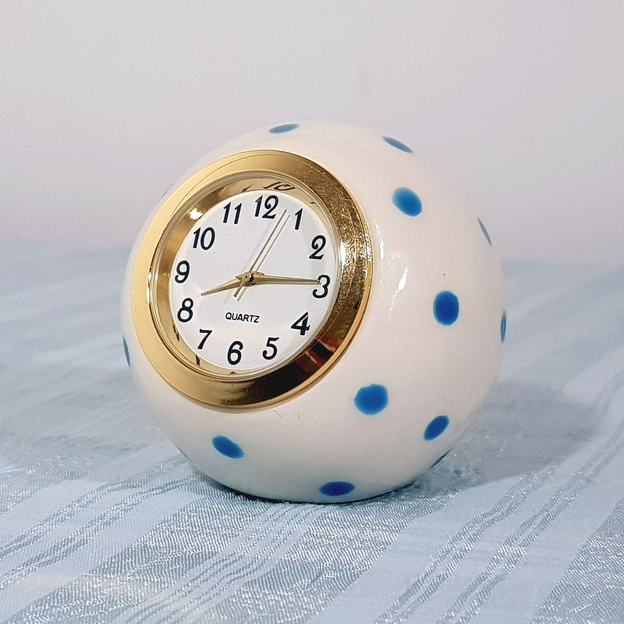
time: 8:14
